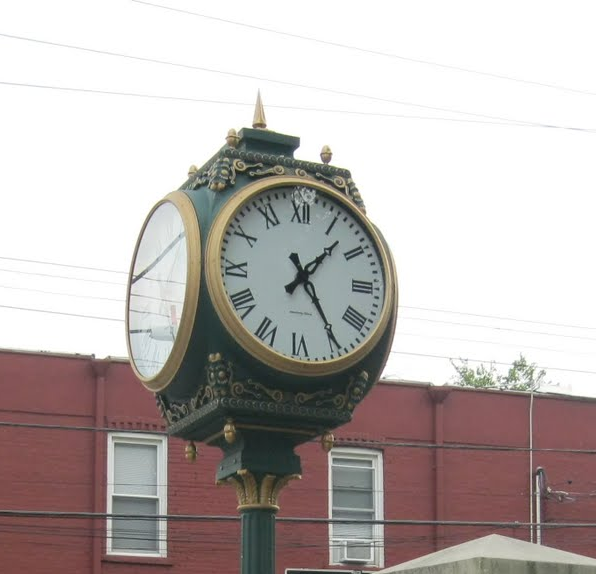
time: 1:24
